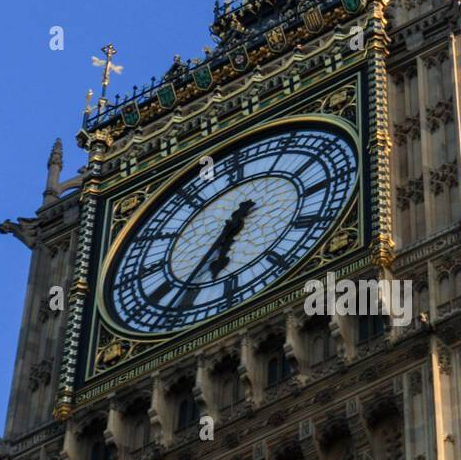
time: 6:36
